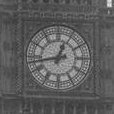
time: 12:43
